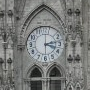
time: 3:12
